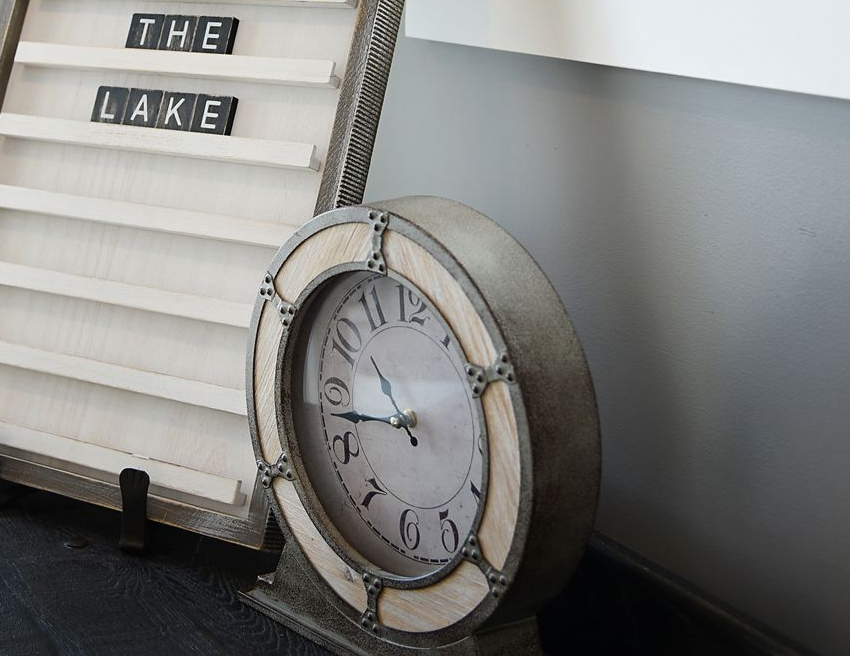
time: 10:43
